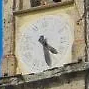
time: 4:28
